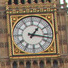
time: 1:17
